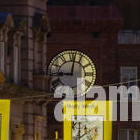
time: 9:01
